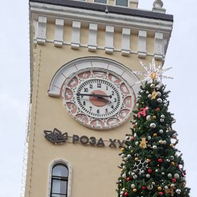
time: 3:45
